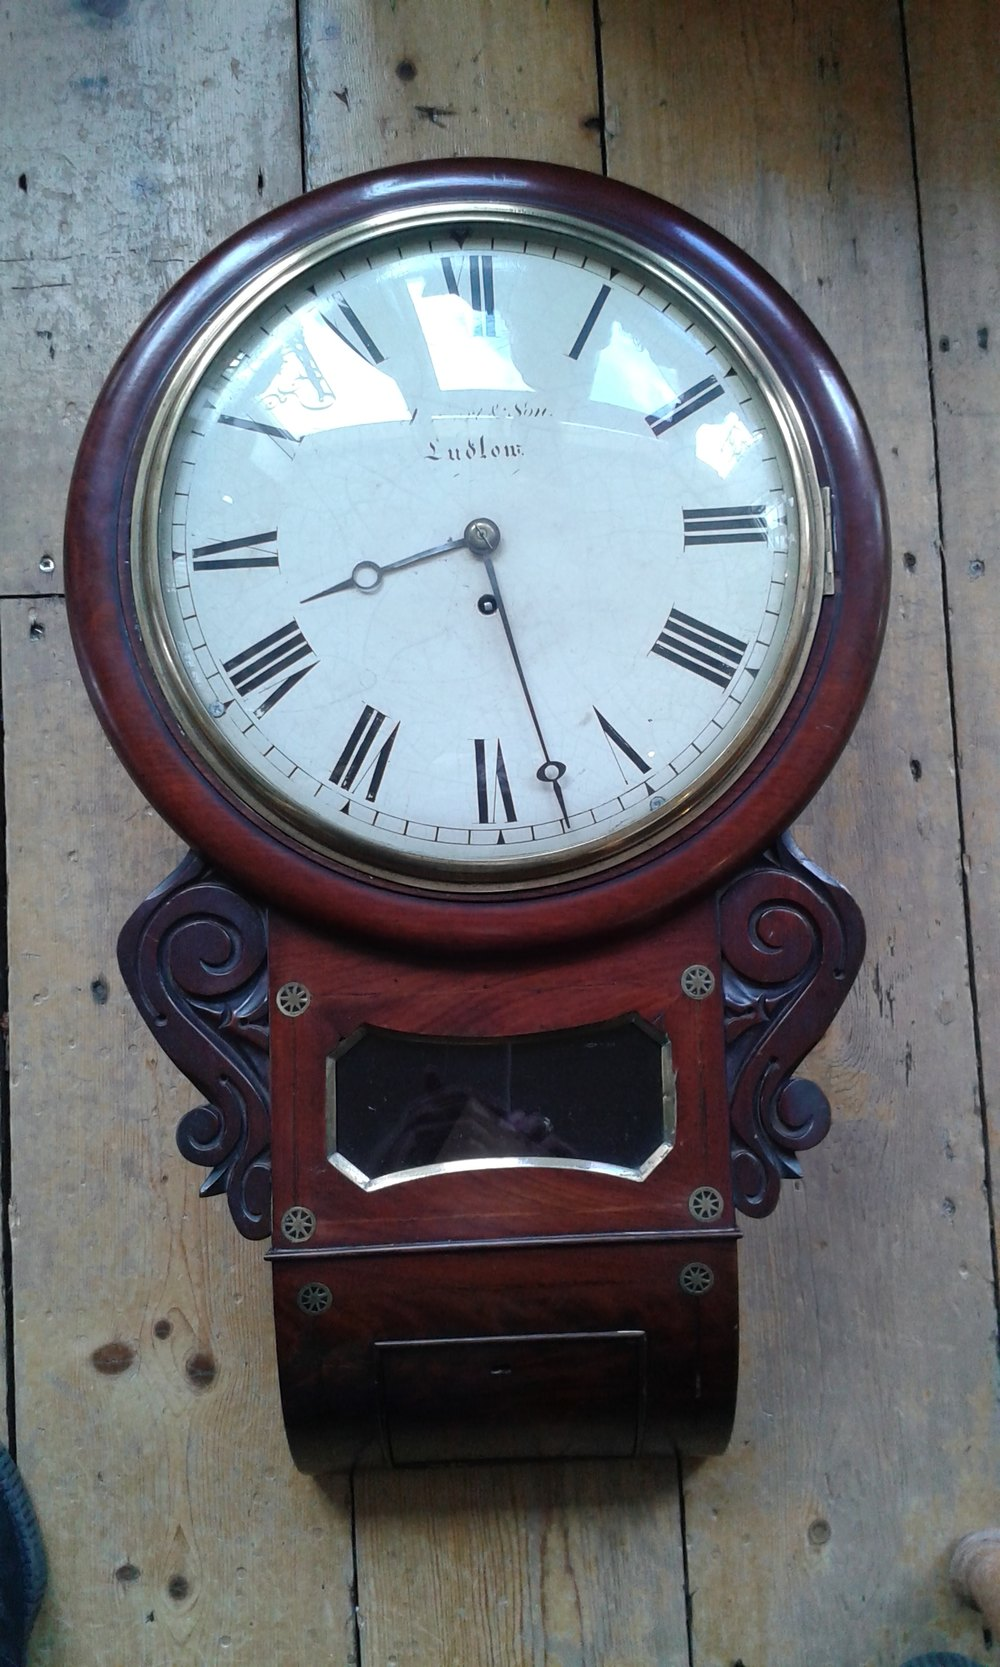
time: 8:27
